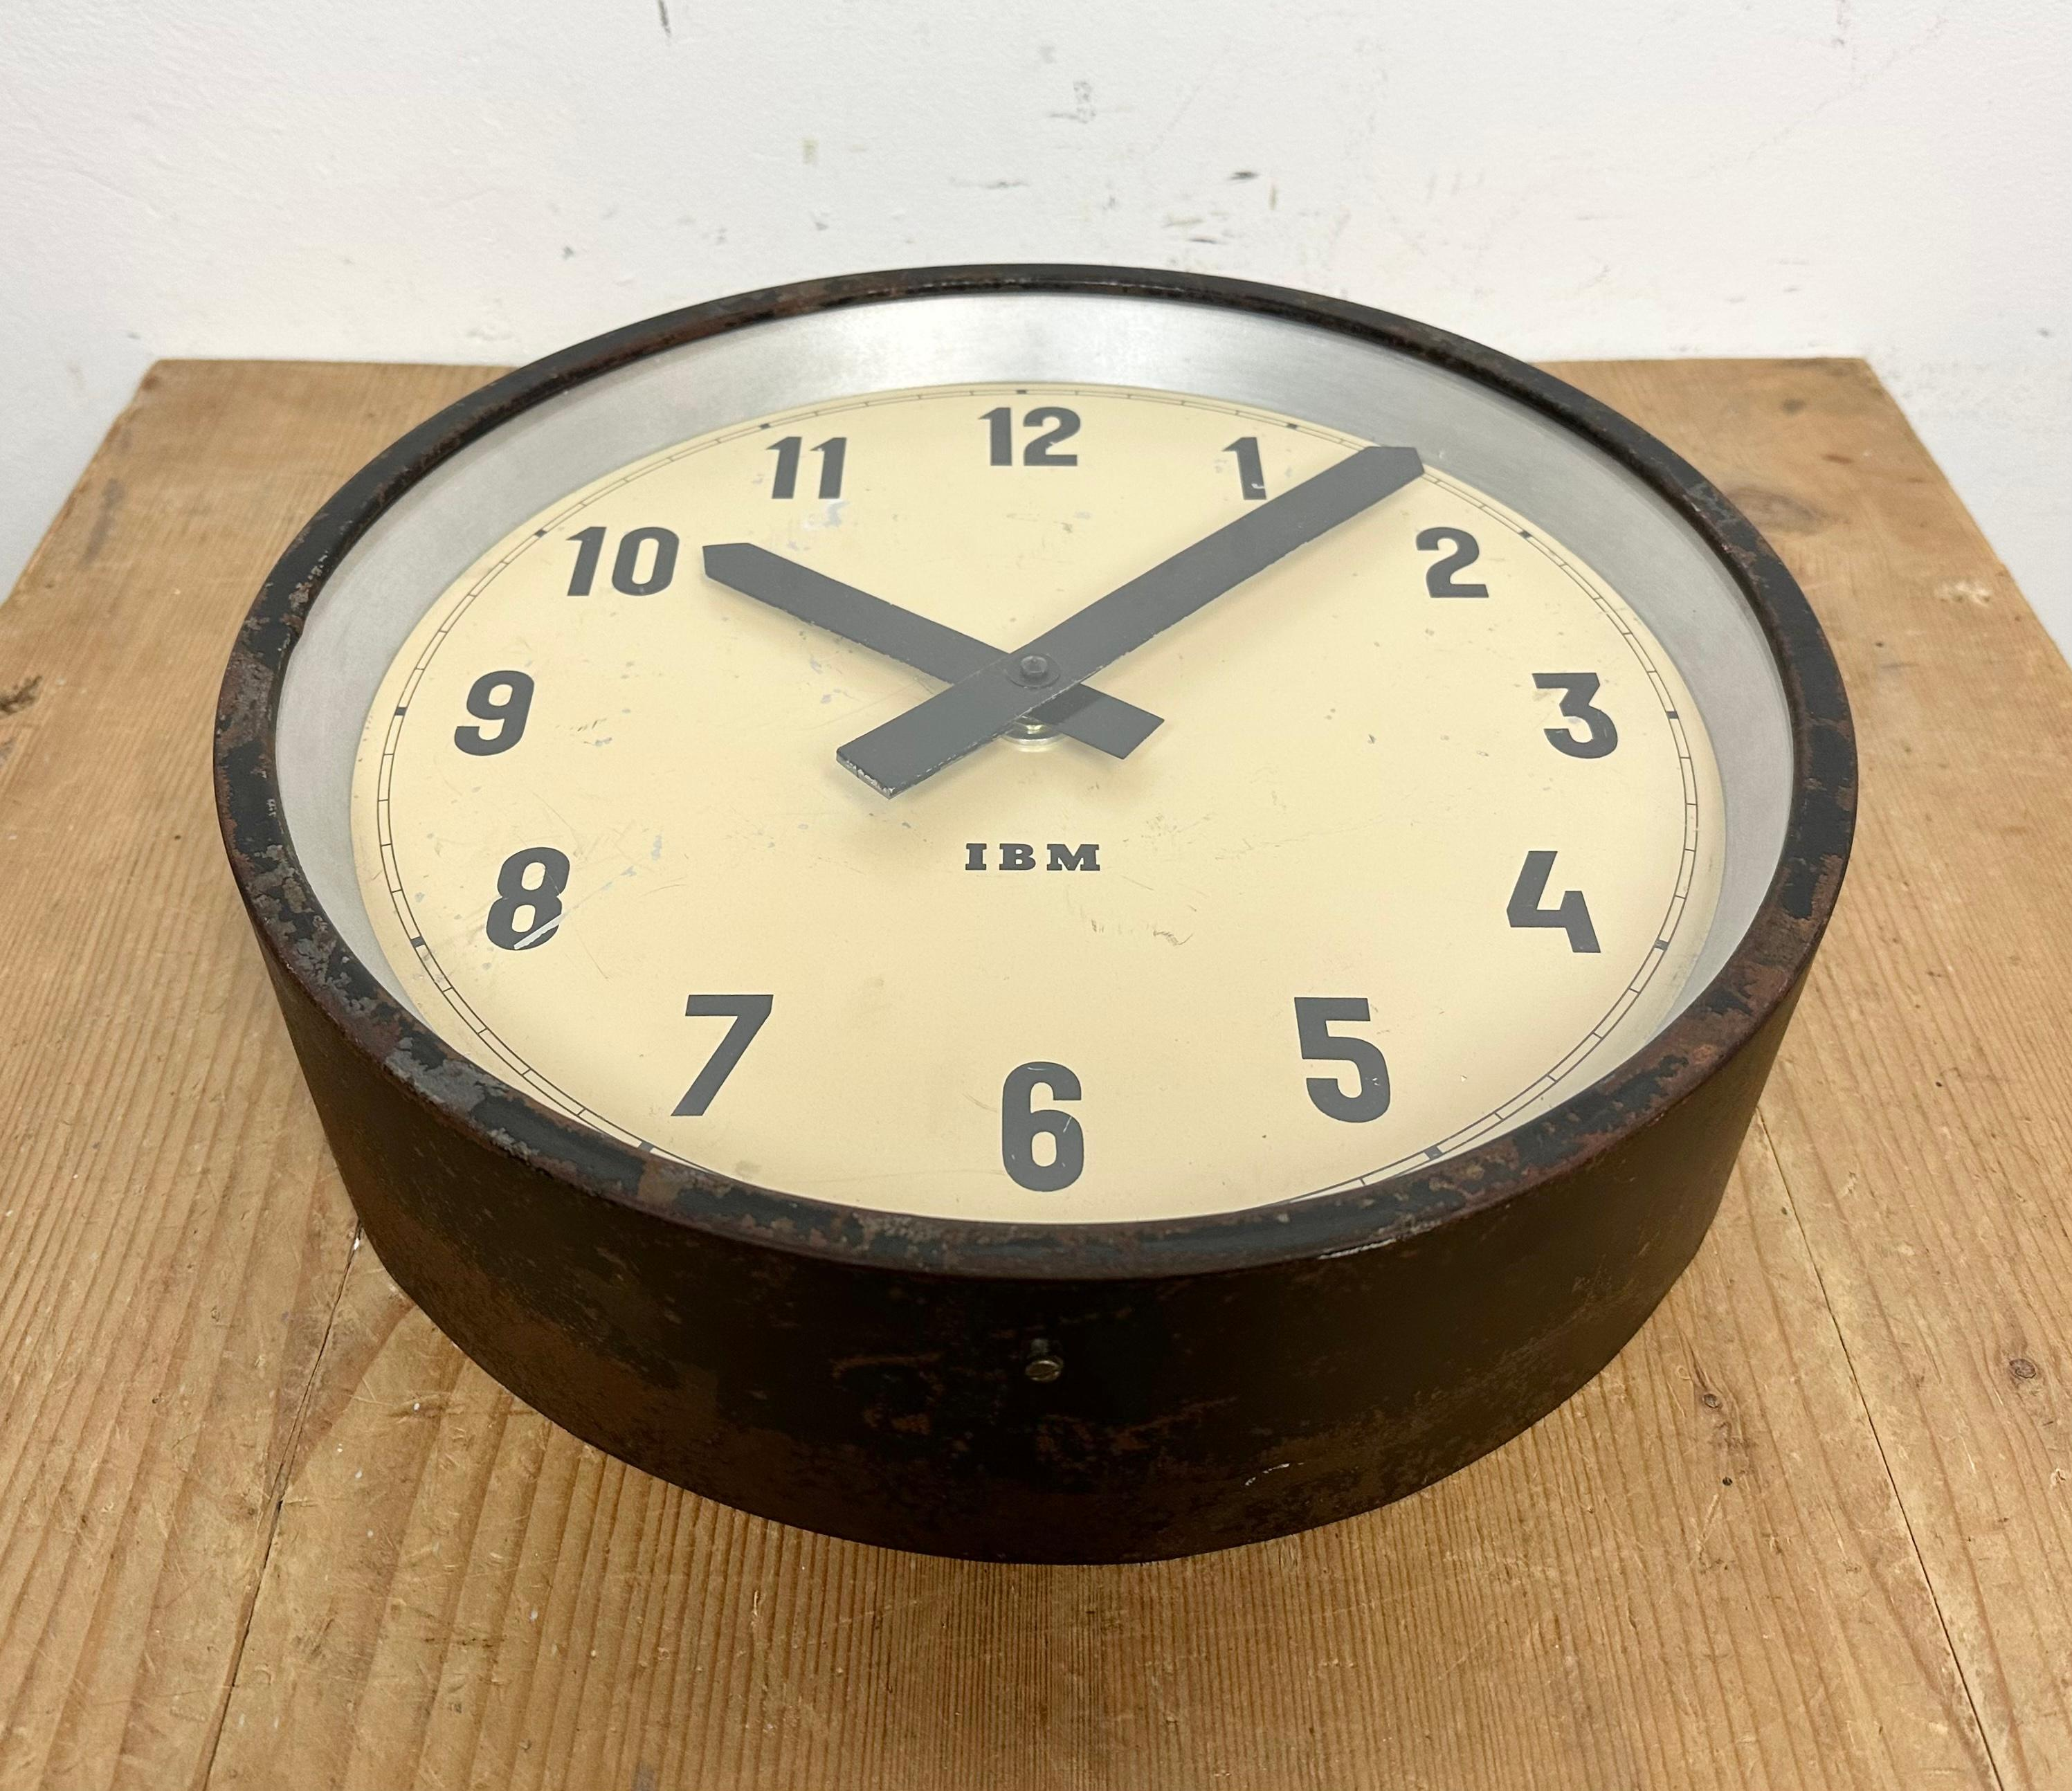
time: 10:07
